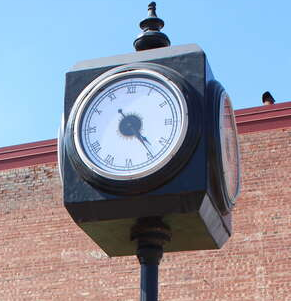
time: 4:23
